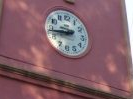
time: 8:43
